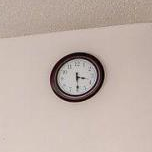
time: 3:29
